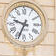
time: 9:34
